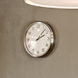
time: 2:06
